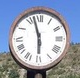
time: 5:57
